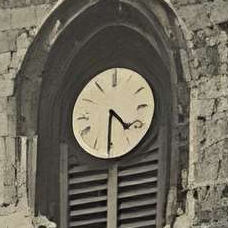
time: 4:30
